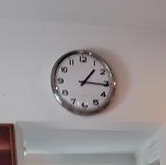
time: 1:16
